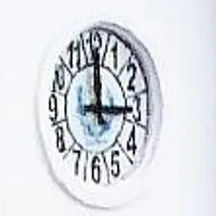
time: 2:59
